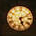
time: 5:11
